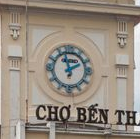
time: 1:57
